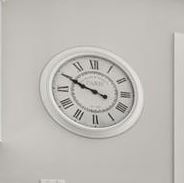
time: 9:49
